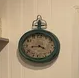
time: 3:43
